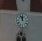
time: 11:55
